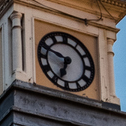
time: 6:47
